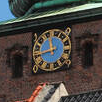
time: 11:42
